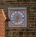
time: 6:35
